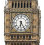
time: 6:24
